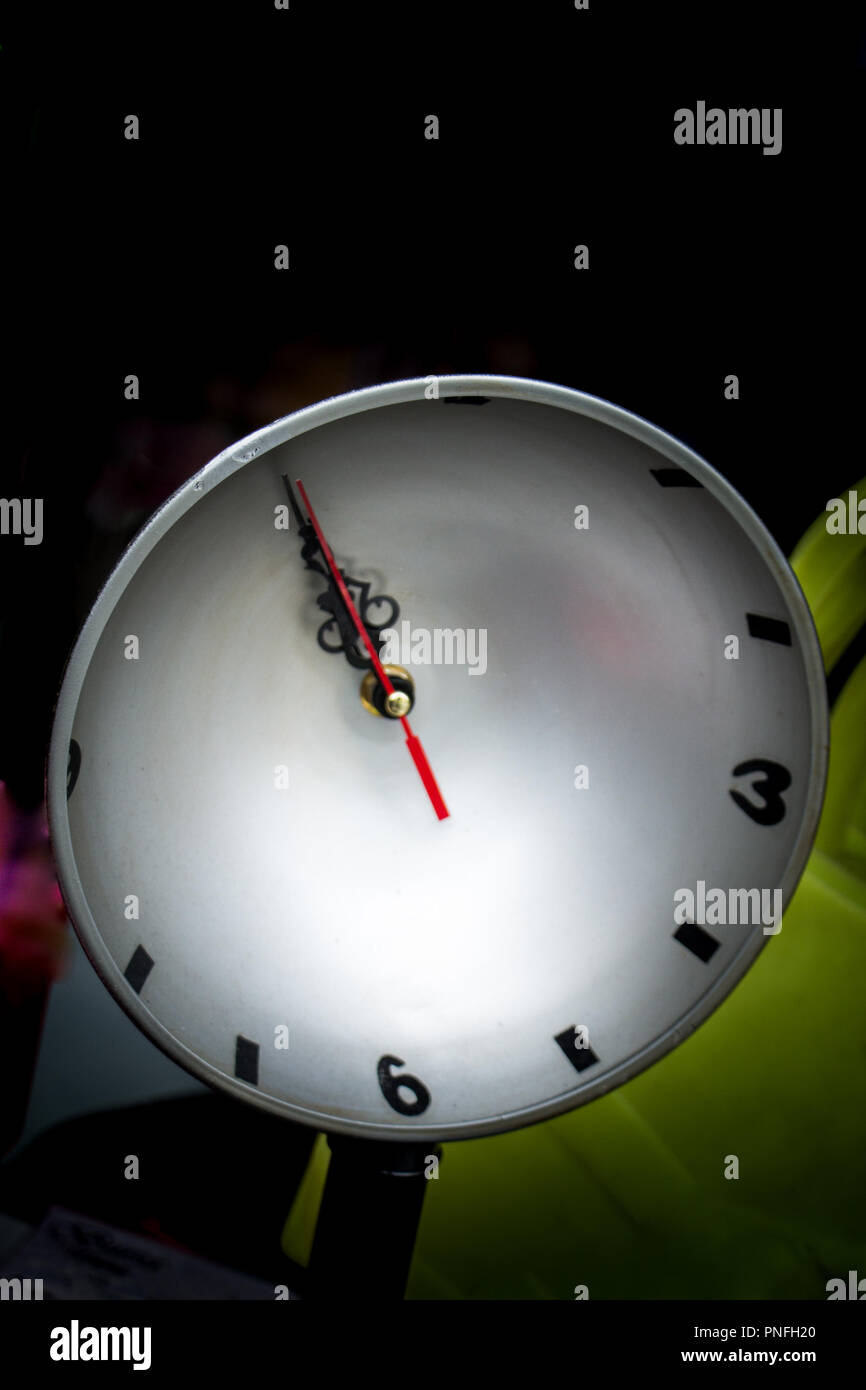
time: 10:55
